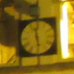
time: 11:28
